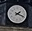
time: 1:18
